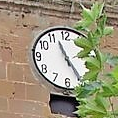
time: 11:24
